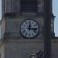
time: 12:16
